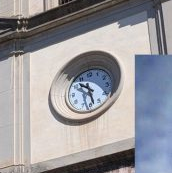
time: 10:28
